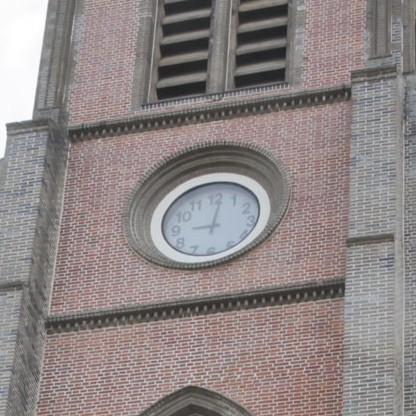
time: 9:01
